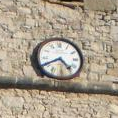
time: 4:40
